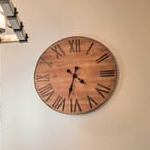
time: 4:32
